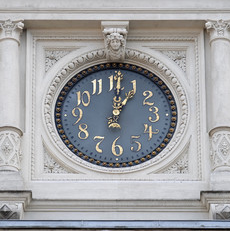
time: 1:00
